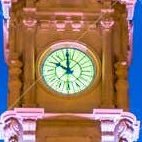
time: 10:00
